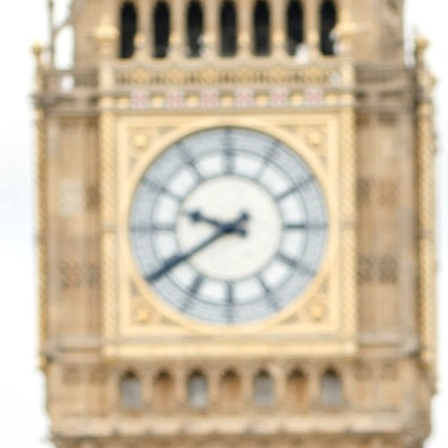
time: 9:39
